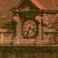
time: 3:33
